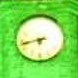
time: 5:42
